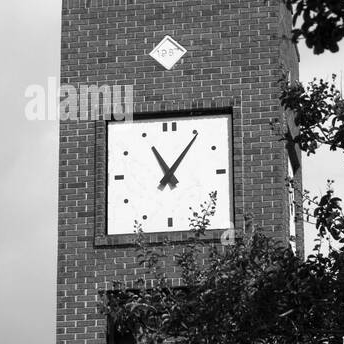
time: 11:05
